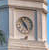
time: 4:52
